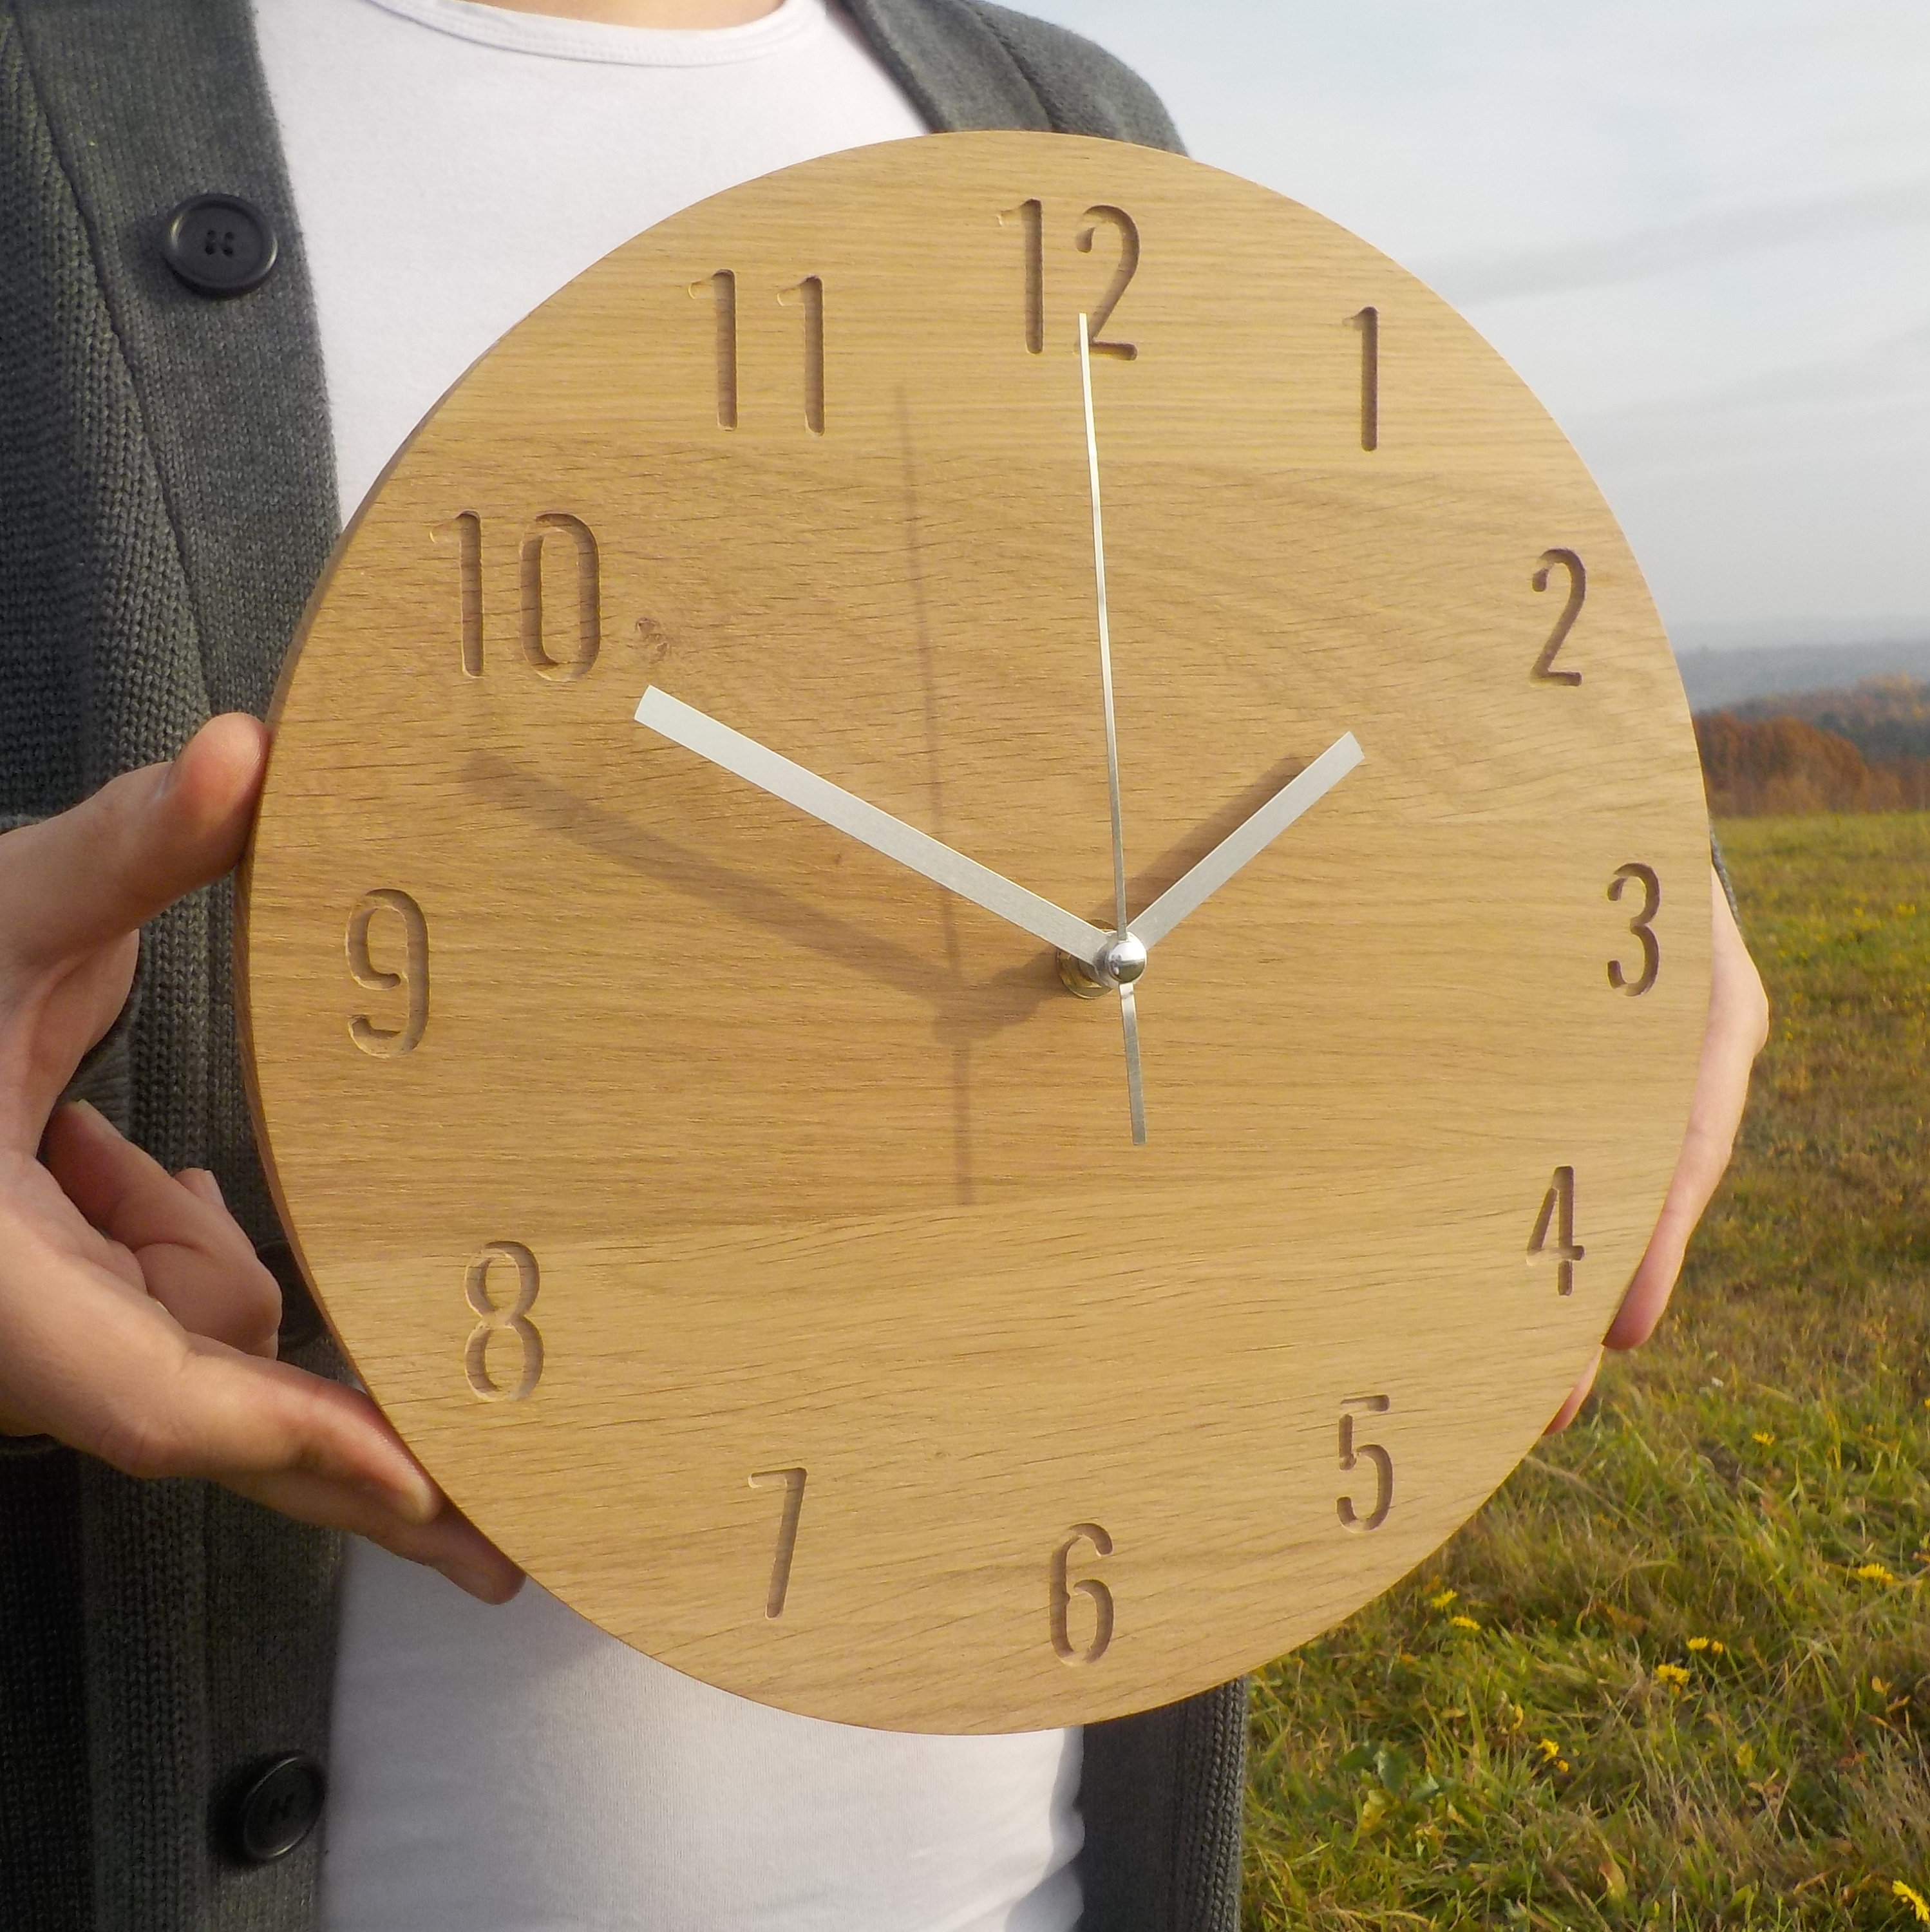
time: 1:49
